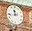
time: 11:43
